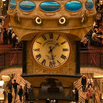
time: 1:28
